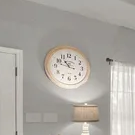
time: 10:47
